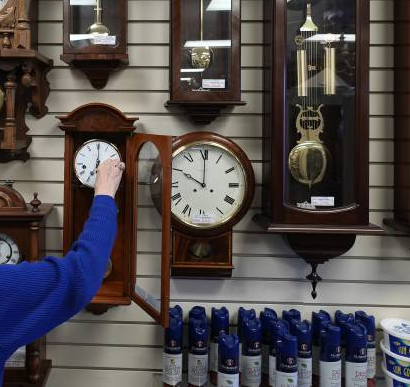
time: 10:00
